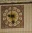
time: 9:28
